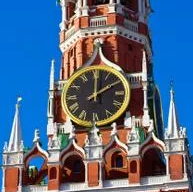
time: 2:00
